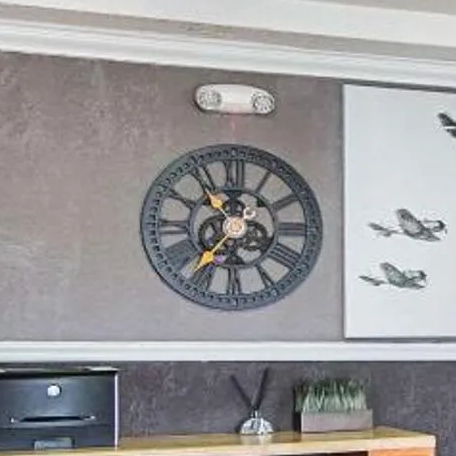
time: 10:36
